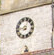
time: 12:42
